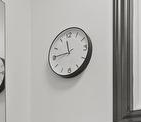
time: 11:45
